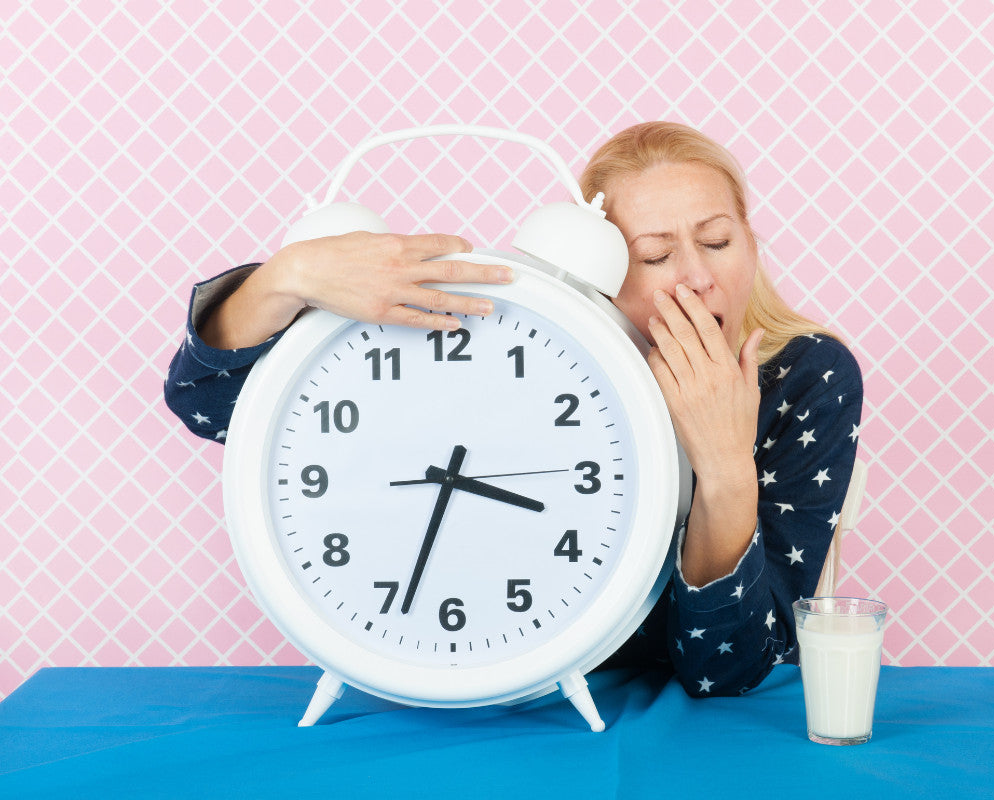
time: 3:33
